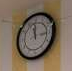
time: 2:58
